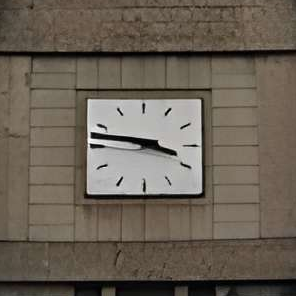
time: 3:46
